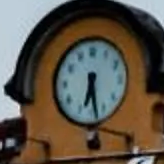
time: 6:28
